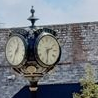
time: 2:29
